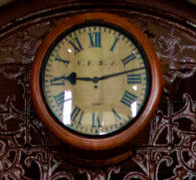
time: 9:12
